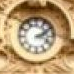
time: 2:18
